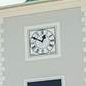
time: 12:49
